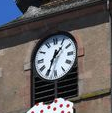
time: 1:34
